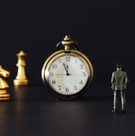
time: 11:56
